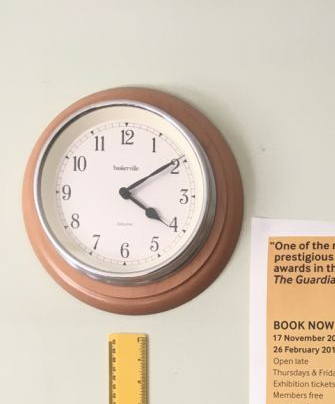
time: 4:09
